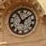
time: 11:09
